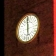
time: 5:59
